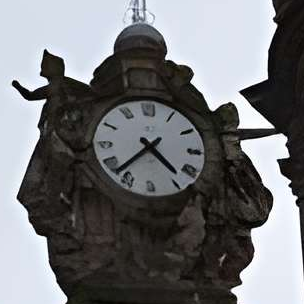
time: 4:37
